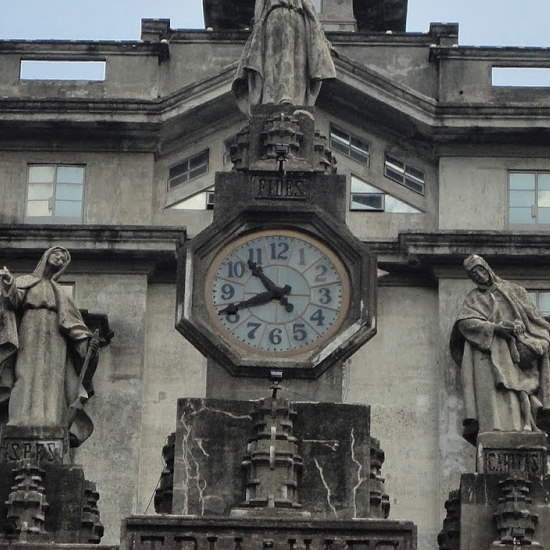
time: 10:41
